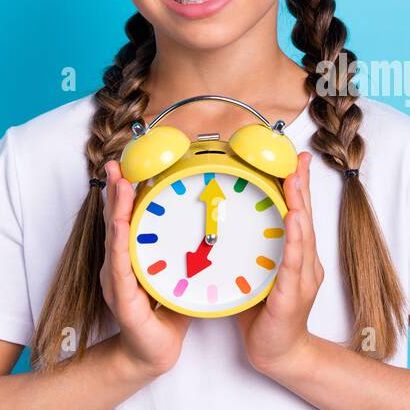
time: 7:00
